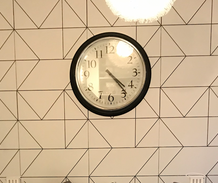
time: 4:23
